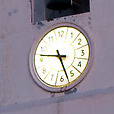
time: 9:27
